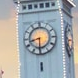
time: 8:30
